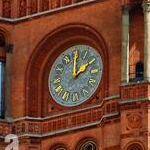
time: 2:00
